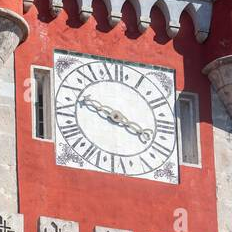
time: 3:48
